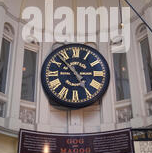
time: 4:52
